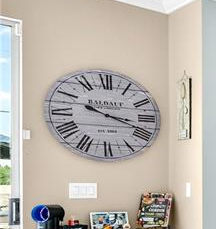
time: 3:18
